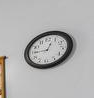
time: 12:44
